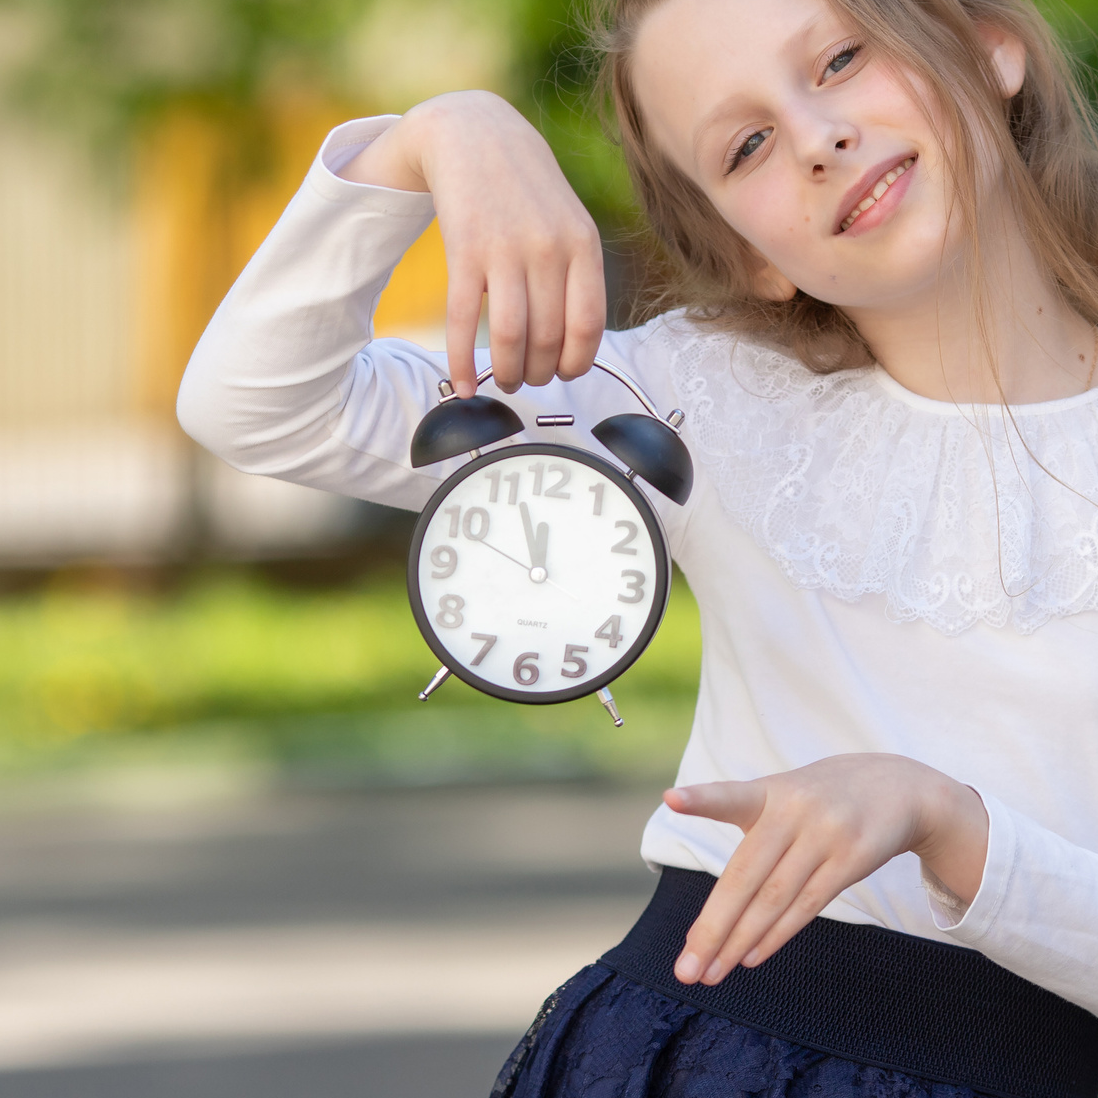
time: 11:56
